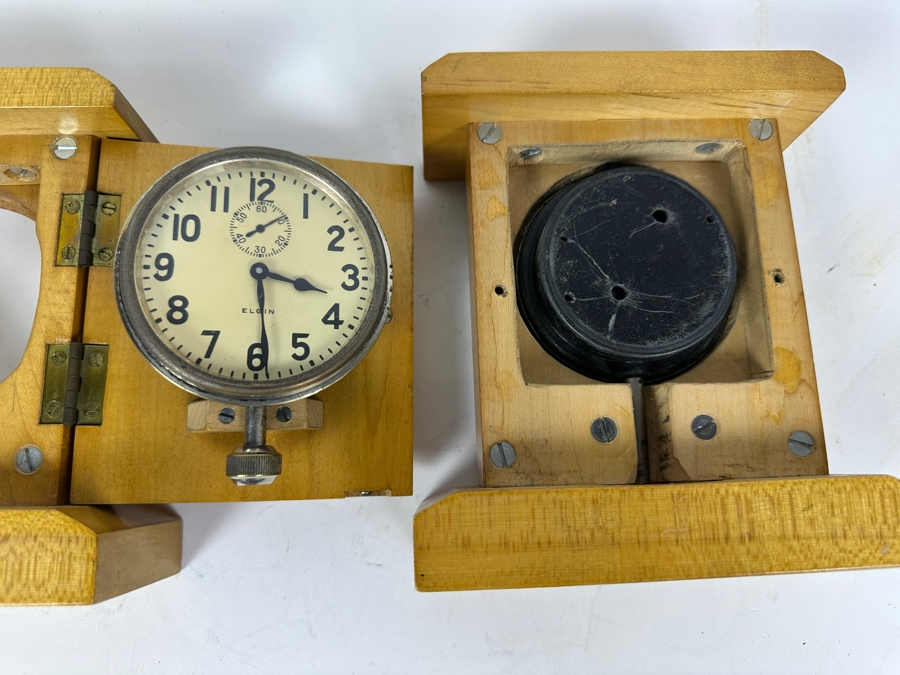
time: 3:29
